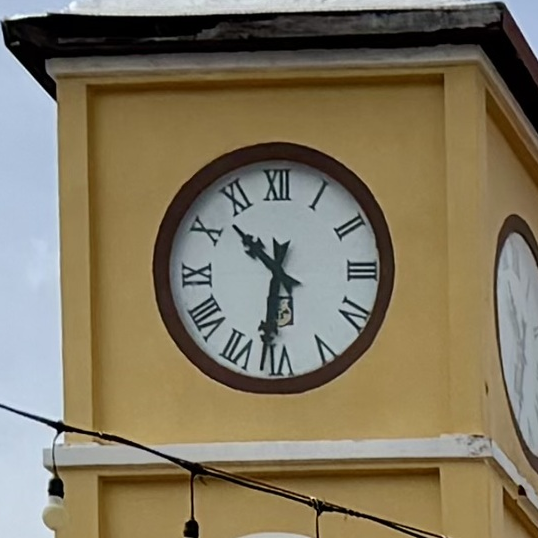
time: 10:31
